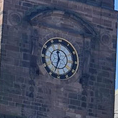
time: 11:33
